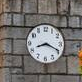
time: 8:19
